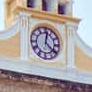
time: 12:21
